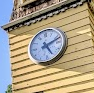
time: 5:11
